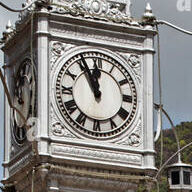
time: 11:55
